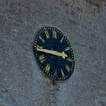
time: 2:44
